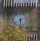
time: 2:29
